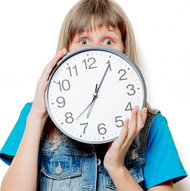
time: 7:05
